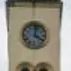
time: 4:02
